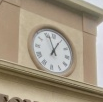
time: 12:56
